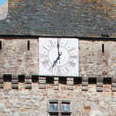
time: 6:58
